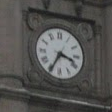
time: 3:34
